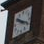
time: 10:19
